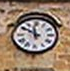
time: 11:50
